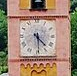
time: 4:29
